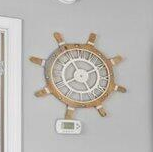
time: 7:55
